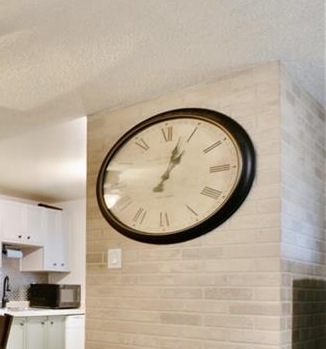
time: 1:02
